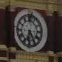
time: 6:25
